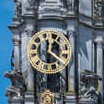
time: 12:20
